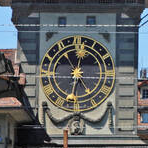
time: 12:24
